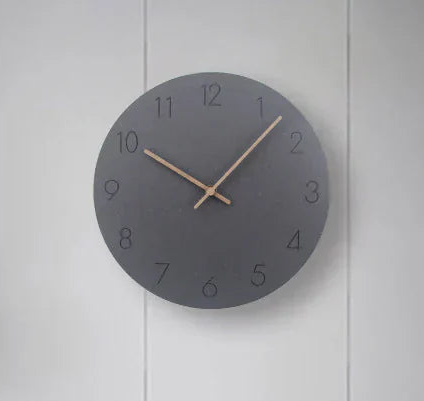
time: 10:07
